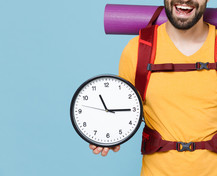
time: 11:14
